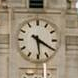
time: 5:20
